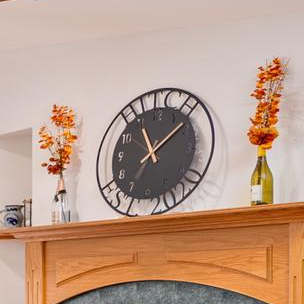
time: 11:08
